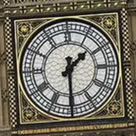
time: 1:29
